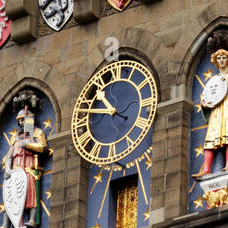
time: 10:47
